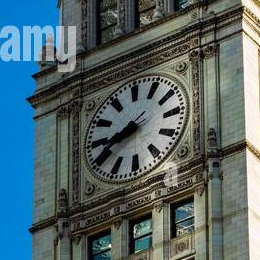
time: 8:40
